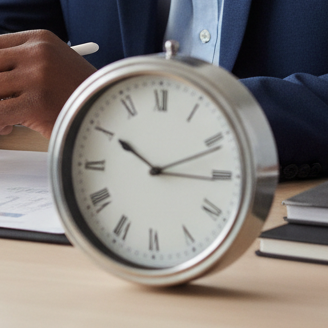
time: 10:11
